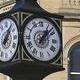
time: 1:07
